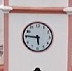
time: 5:46
